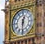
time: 12:30
